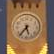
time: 5:36
